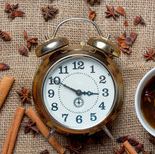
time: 2:49
